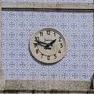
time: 1:47
